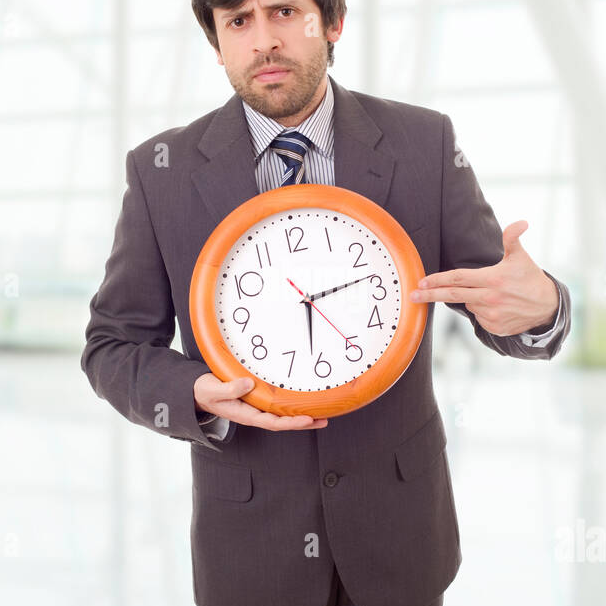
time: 6:13
